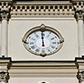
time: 11:59
